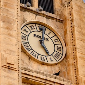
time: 5:02
